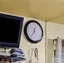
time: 12:36
